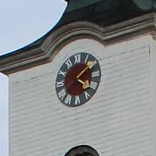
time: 4:08
